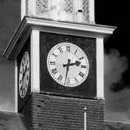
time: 2:31
